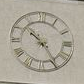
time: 10:24
